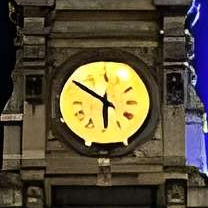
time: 5:50
